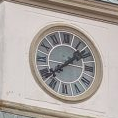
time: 1:38
